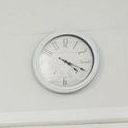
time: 4:19
